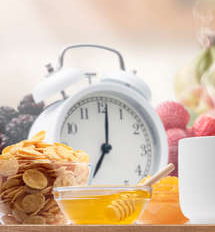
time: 7:01
